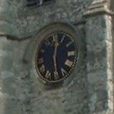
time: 12:28
